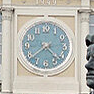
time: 4:38
